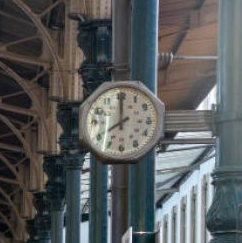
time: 7:59
